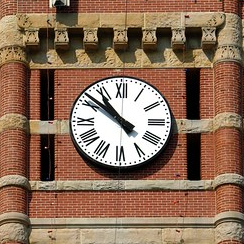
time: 10:51
